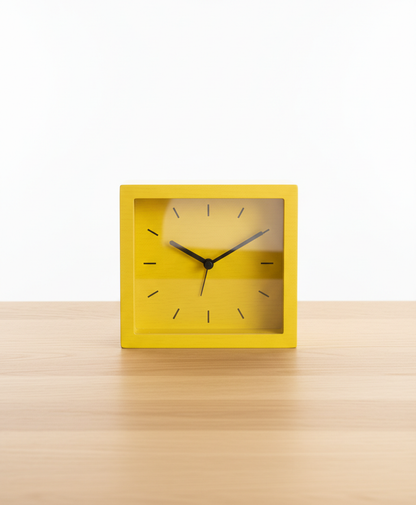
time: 10:09
